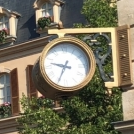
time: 9:34
